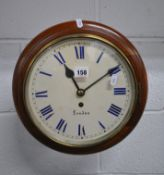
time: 11:09
